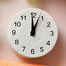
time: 12:03
